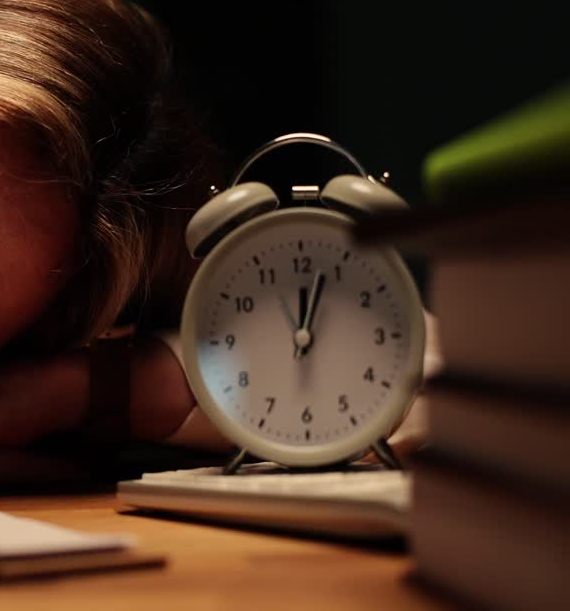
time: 12:03
